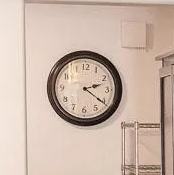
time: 2:20
